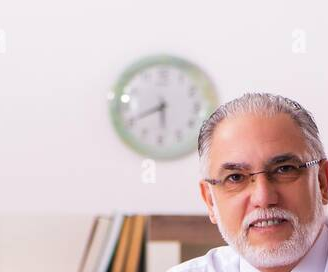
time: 5:40
